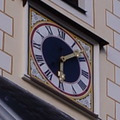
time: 6:08
